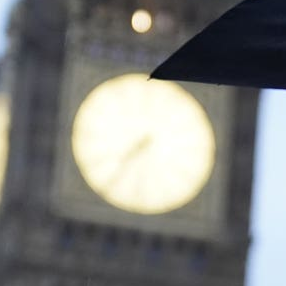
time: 7:35
